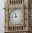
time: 11:44
